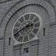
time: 2:40
